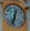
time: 12:32
